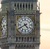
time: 4:40
